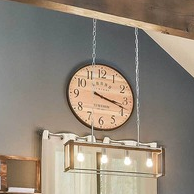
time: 3:17
